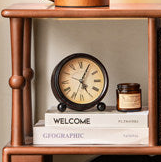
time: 5:04
